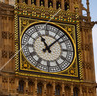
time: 11:07
